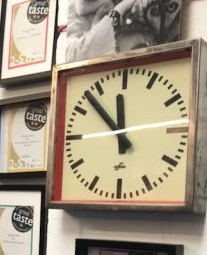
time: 11:52
